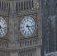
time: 5:15
